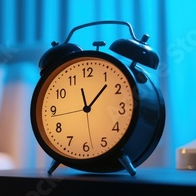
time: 11:07
